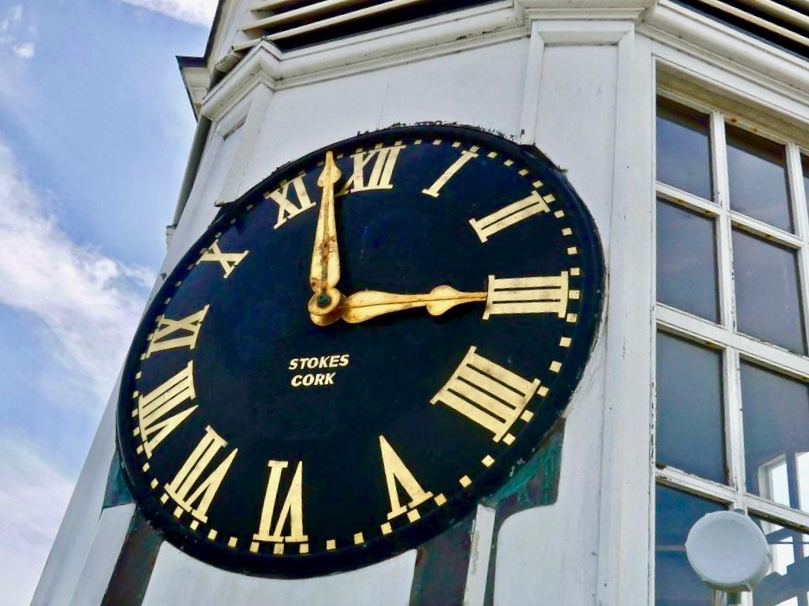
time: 2:57
